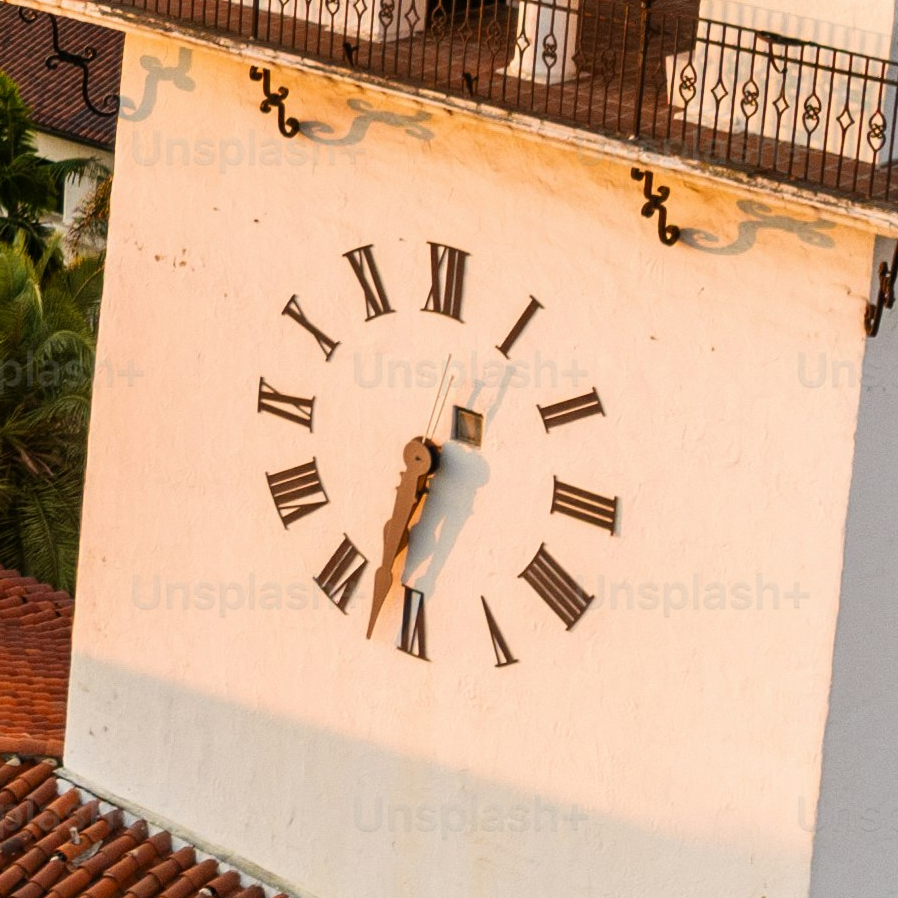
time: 6:32
